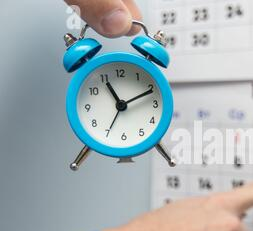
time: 11:11
